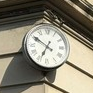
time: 6:50
